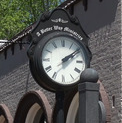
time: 2:09
